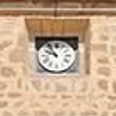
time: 9:53
